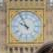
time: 9:55
